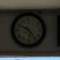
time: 10:24
